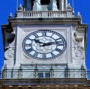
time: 10:12
